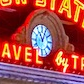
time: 11:04
